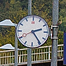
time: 2:24
